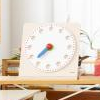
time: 7:37
